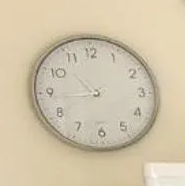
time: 10:44
